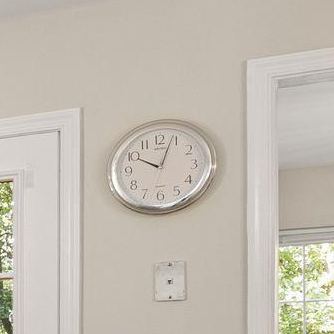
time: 10:03
